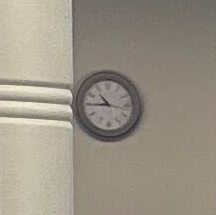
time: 10:45
